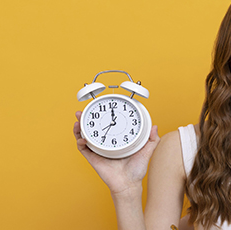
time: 6:59
